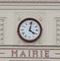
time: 4:02
